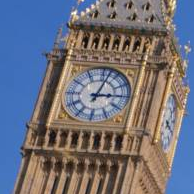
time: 3:02
